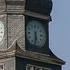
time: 5:31
